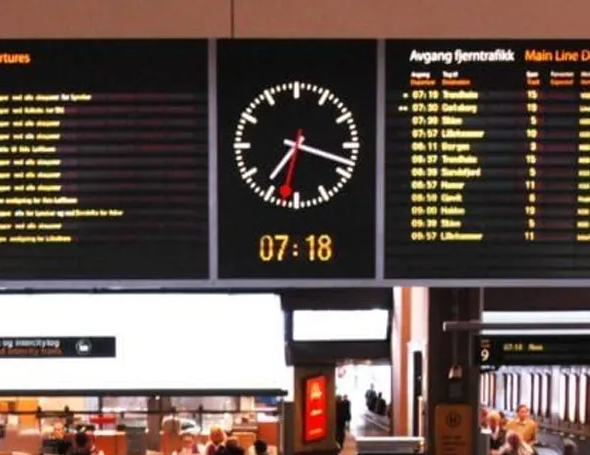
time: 7:18
